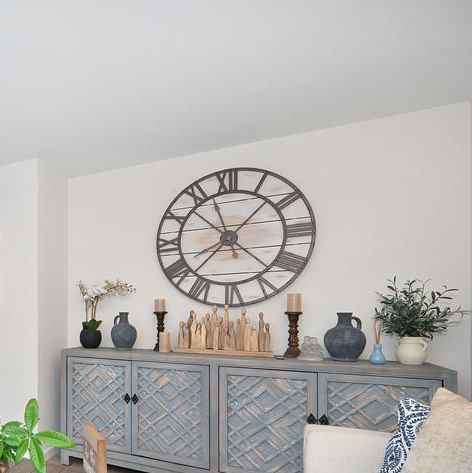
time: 8:07
